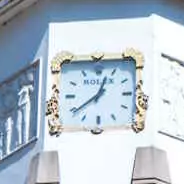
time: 12:38
